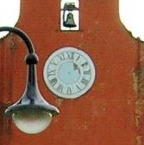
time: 2:01
